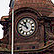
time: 10:49
